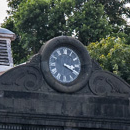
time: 3:19
